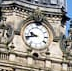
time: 9:42
